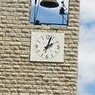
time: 2:02
